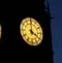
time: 4:00
